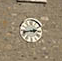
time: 2:42
